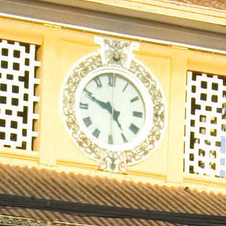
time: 4:49
